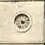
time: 9:12
